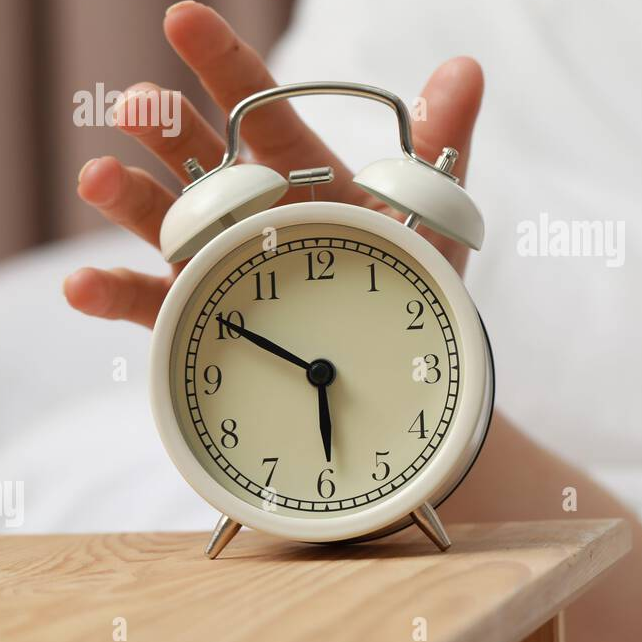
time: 5:50
